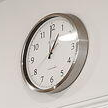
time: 1:00
